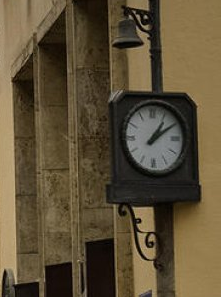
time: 1:09
